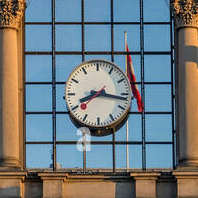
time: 8:16
